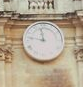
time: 11:46
